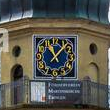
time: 11:06
